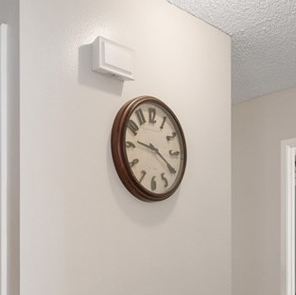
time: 9:20
